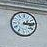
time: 3:13
